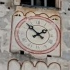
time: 1:53
